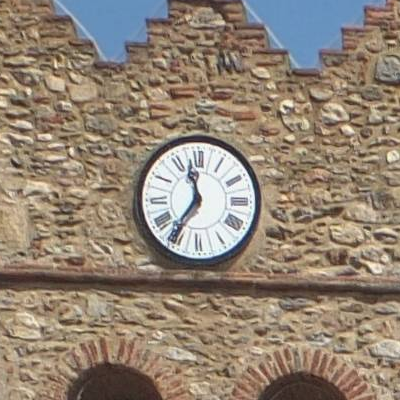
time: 11:36
